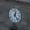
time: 12:23
